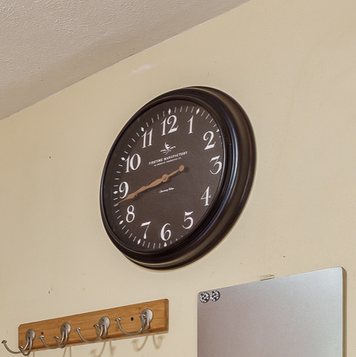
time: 8:42
